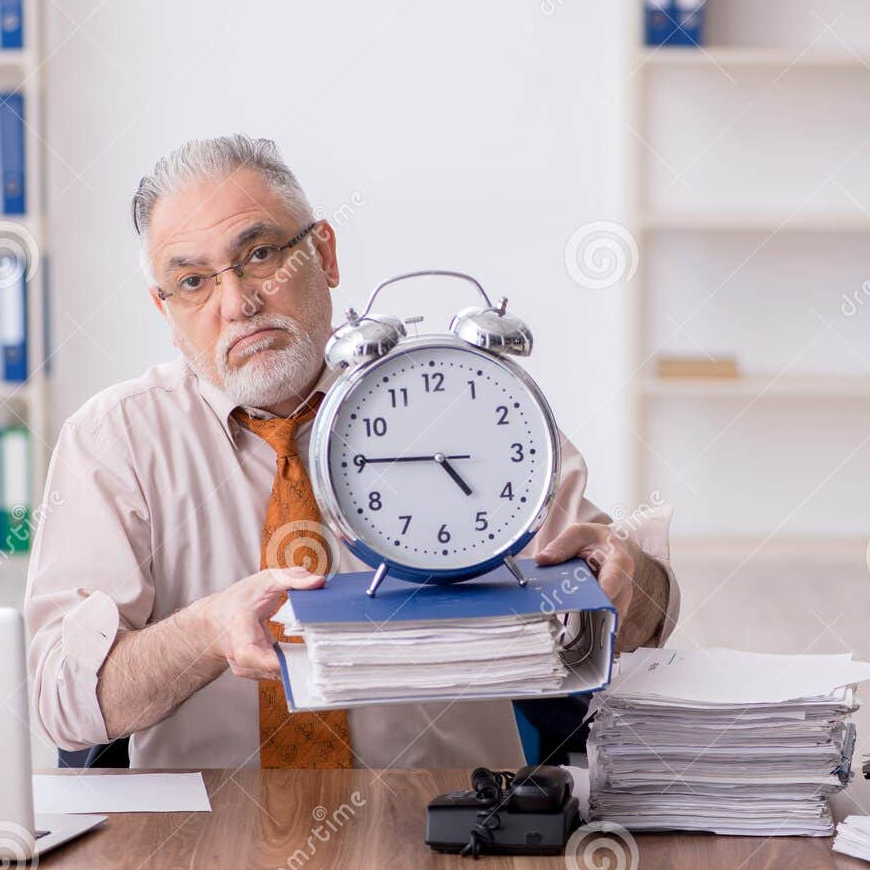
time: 4:45
